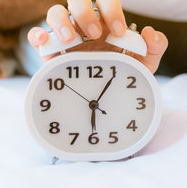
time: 6:05
